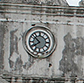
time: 7:52
